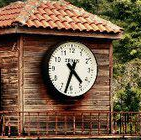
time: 4:32
